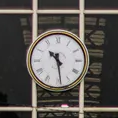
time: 10:28
